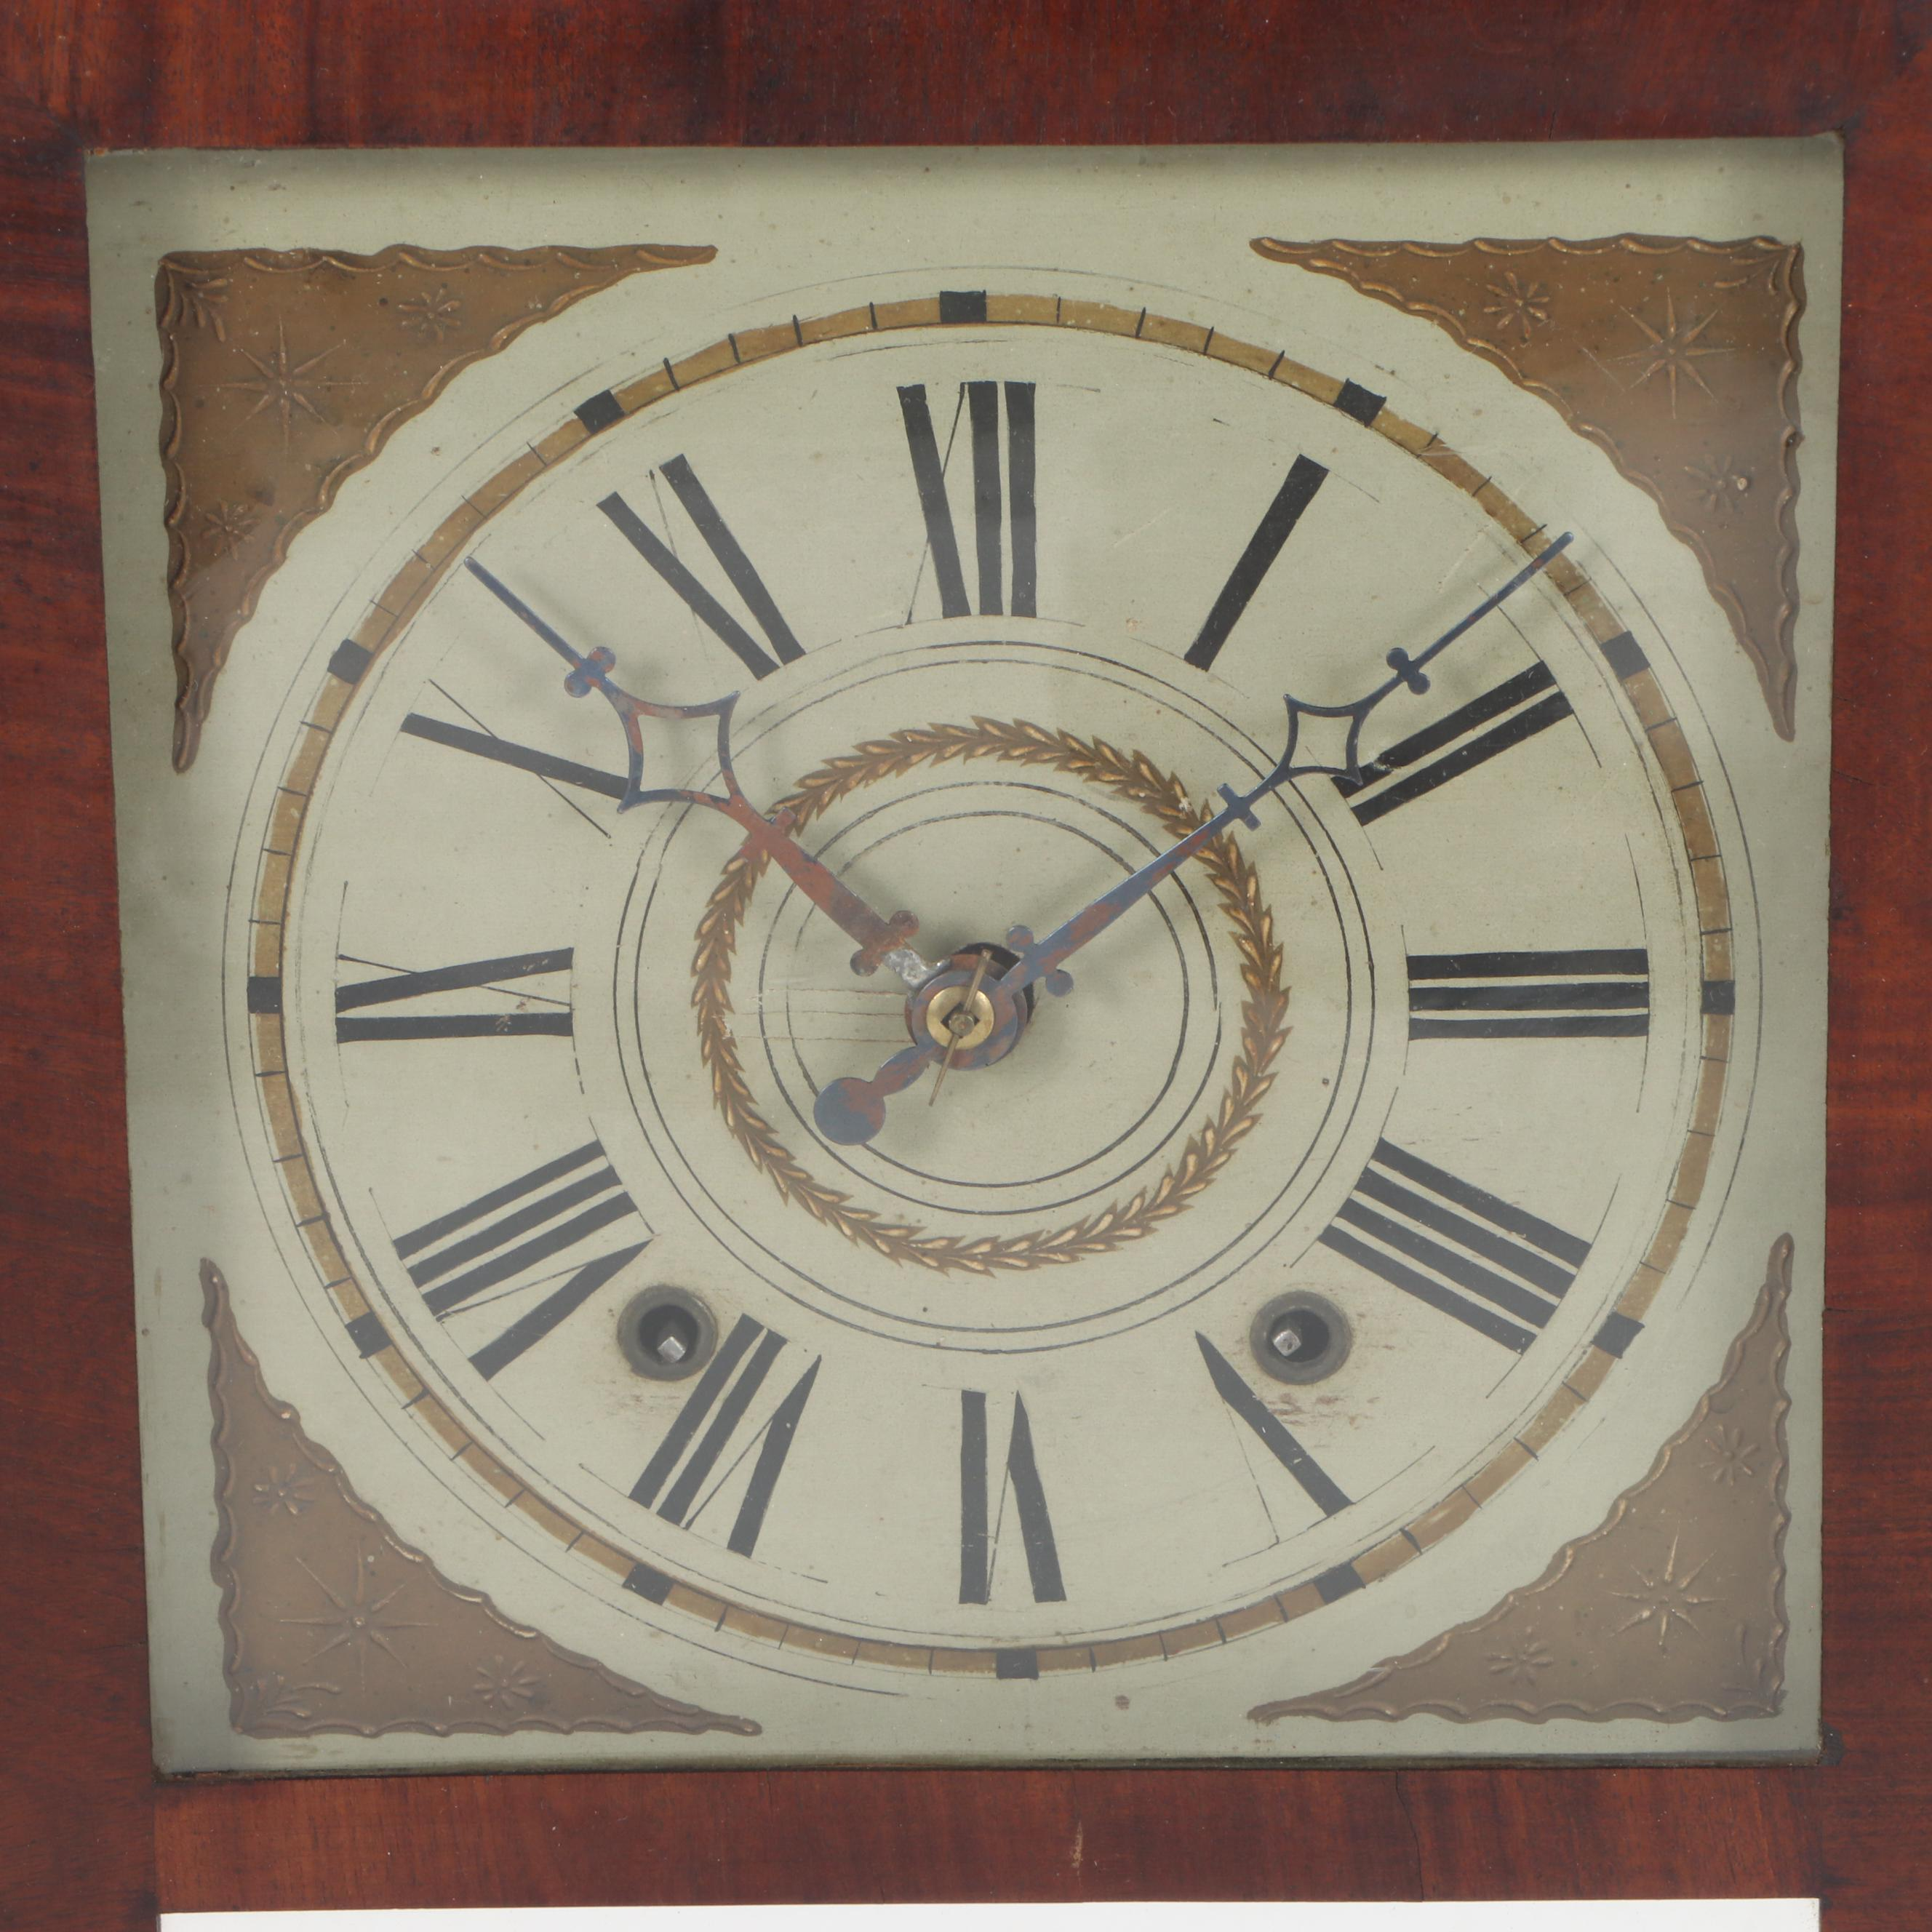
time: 10:09
